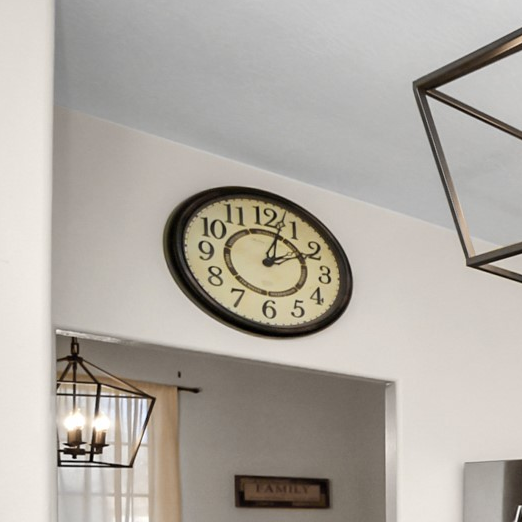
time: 2:03
